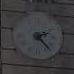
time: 2:23
